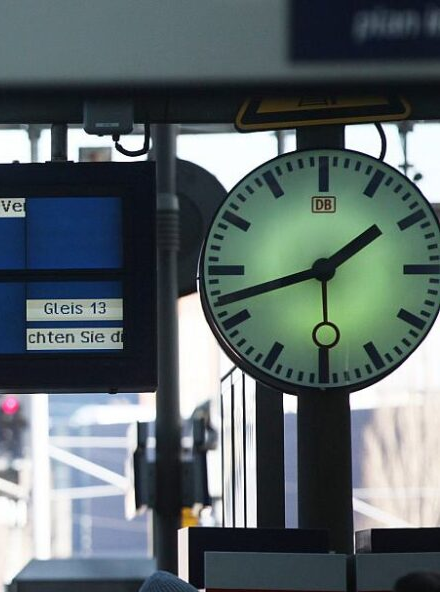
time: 1:42
